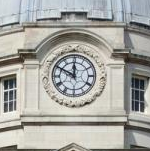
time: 11:49
